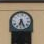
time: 6:24
